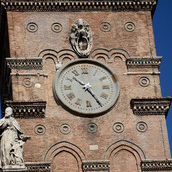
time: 10:24
